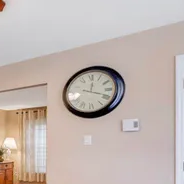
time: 12:18
